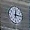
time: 12:14
